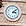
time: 3:08
